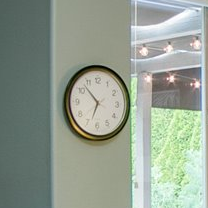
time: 6:52
